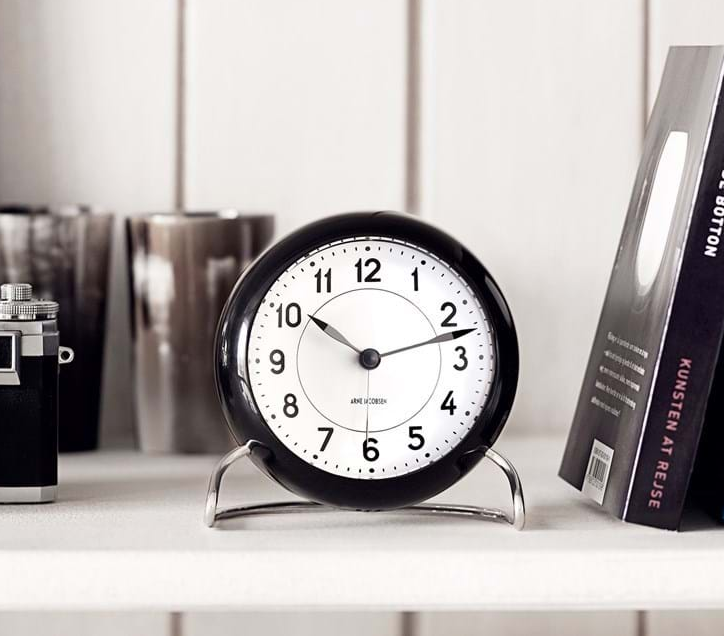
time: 10:12
